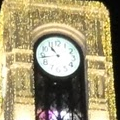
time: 10:43
